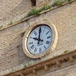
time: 10:00
